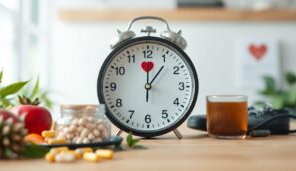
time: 12:06
